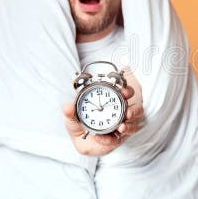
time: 1:50
